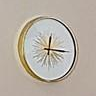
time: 12:15
